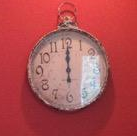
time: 12:00
